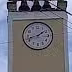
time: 1:42
